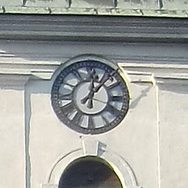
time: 12:06
